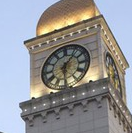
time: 6:06
